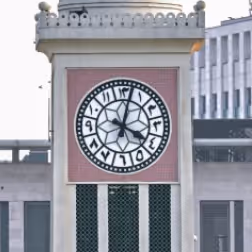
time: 4:02
